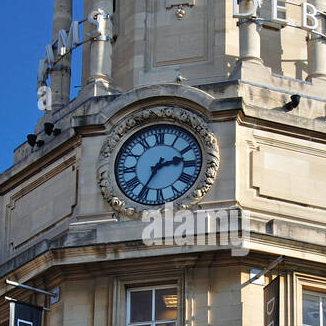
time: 2:35
